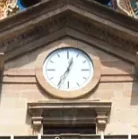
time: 12:34
